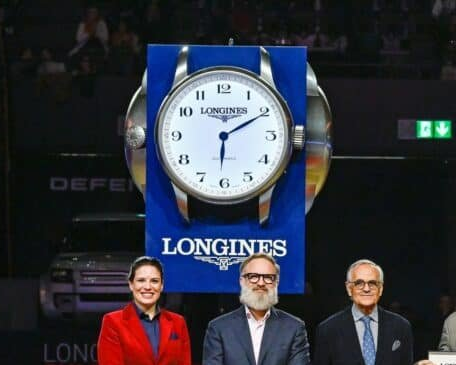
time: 6:10
